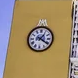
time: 1:20
